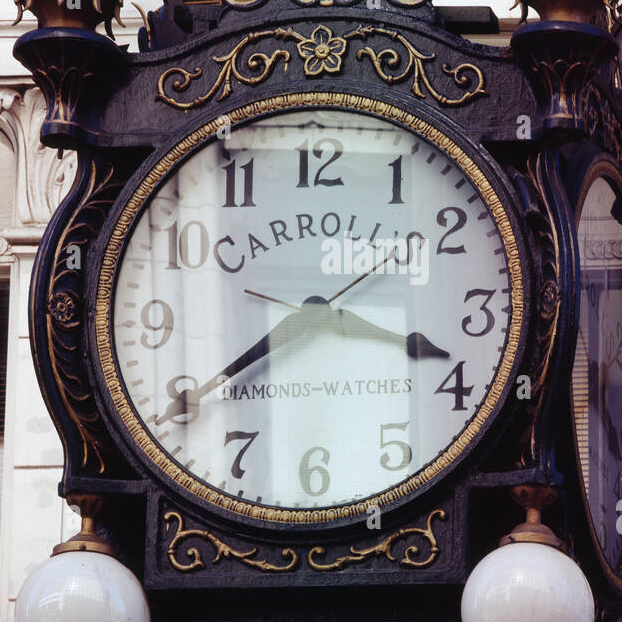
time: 3:39
